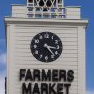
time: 3:23
